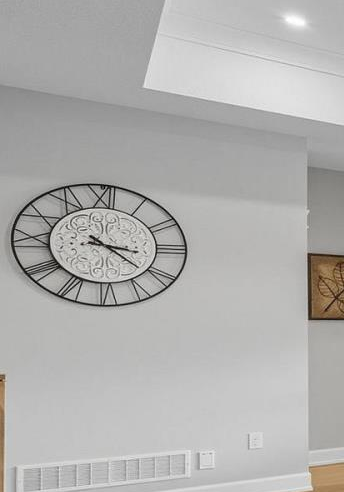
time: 3:21
